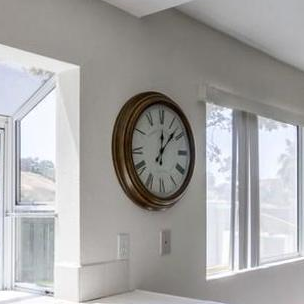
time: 12:07
